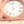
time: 6:58
